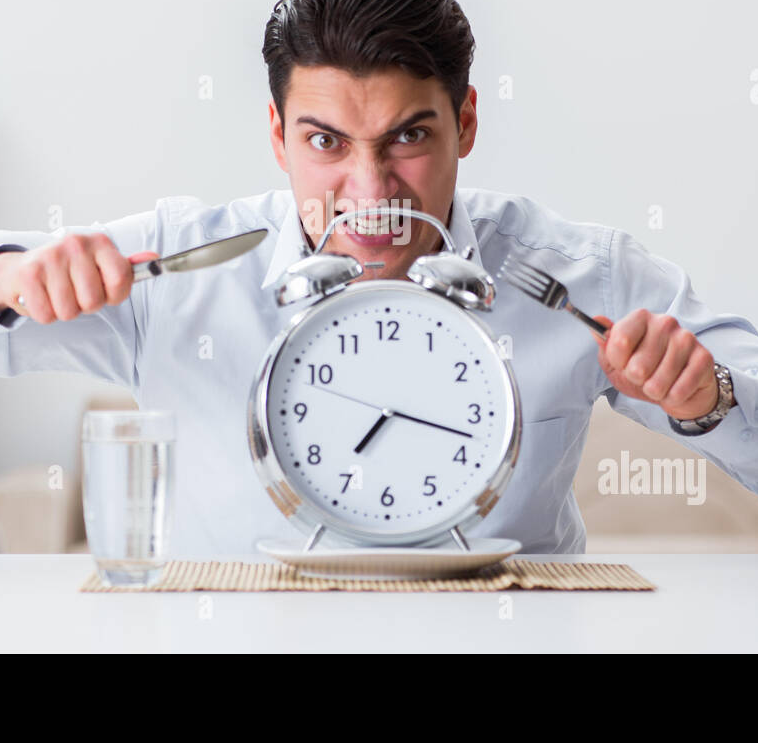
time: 7:17
